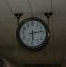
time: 2:29
